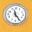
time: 11:24
